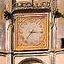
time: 7:15
